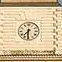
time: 7:30
